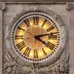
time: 4:12
